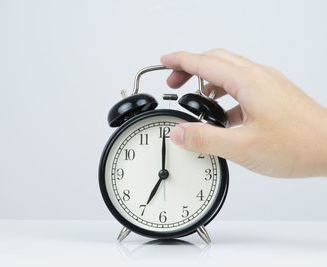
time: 7:00
